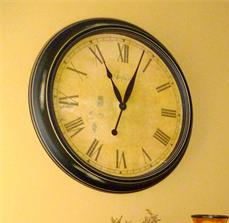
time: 11:03
